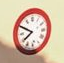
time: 7:49
